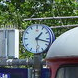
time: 1:17
